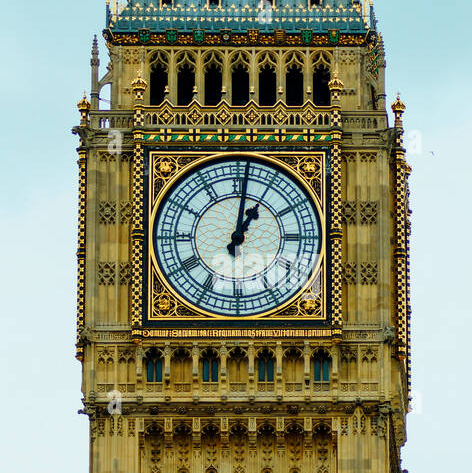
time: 1:01
